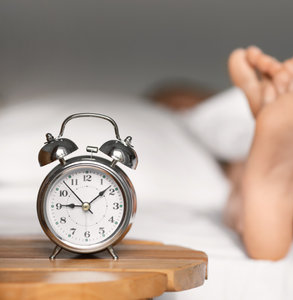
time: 9:08
